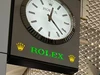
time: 12:22
